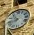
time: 10:42
